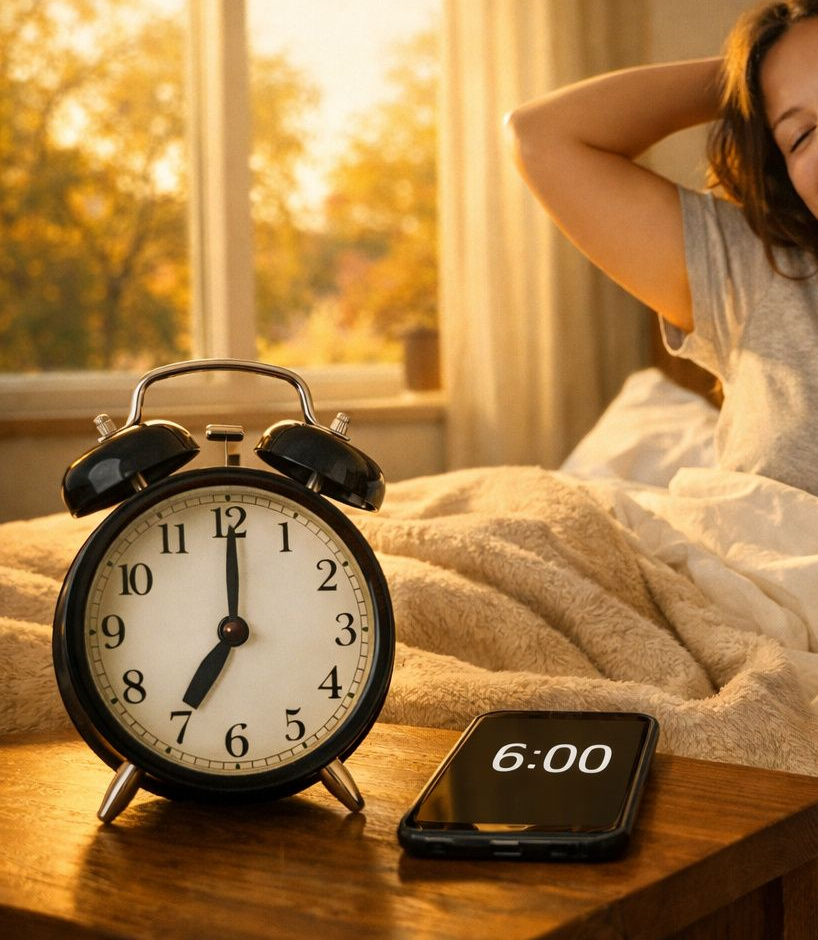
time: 7:00
